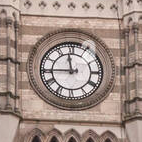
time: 11:44
